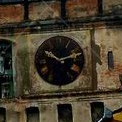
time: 10:12
